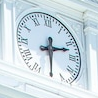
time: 2:29
